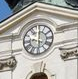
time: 5:59
